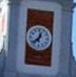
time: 12:37
